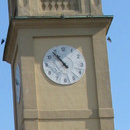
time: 10:53
